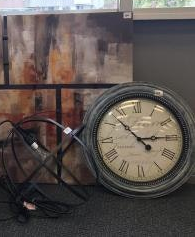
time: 2:53
